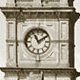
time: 11:09
